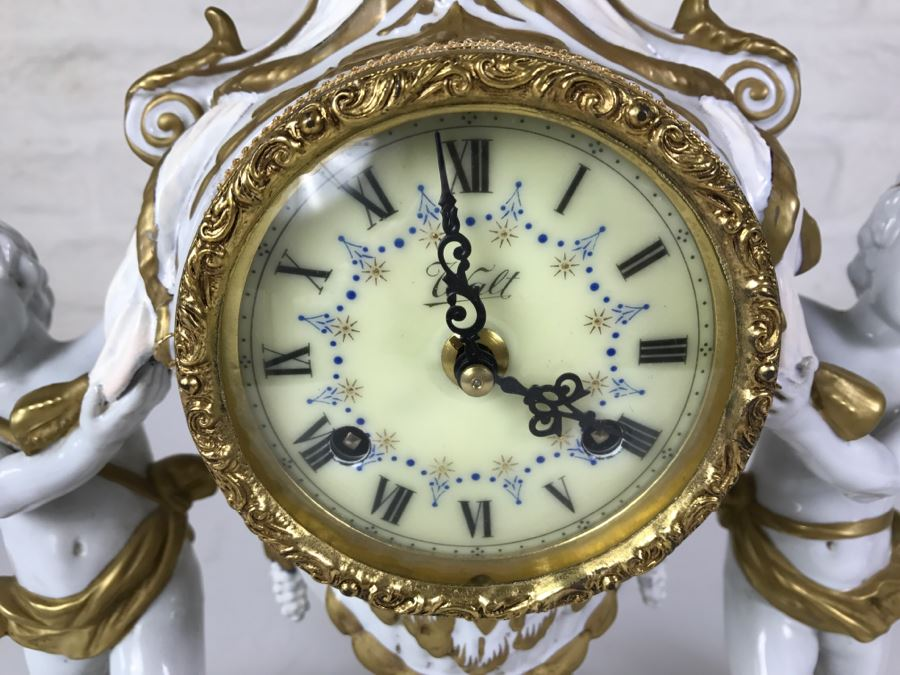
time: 3:58
